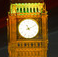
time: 11:10
